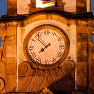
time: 7:52
